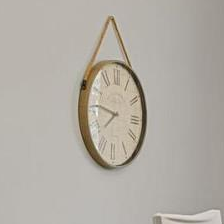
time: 7:46
